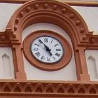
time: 4:55
